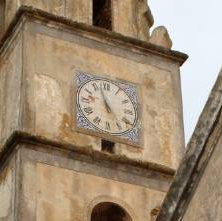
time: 4:57
